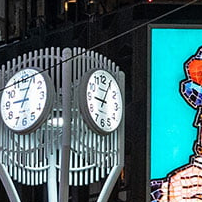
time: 9:04
